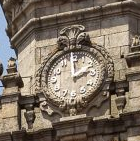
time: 1:59
